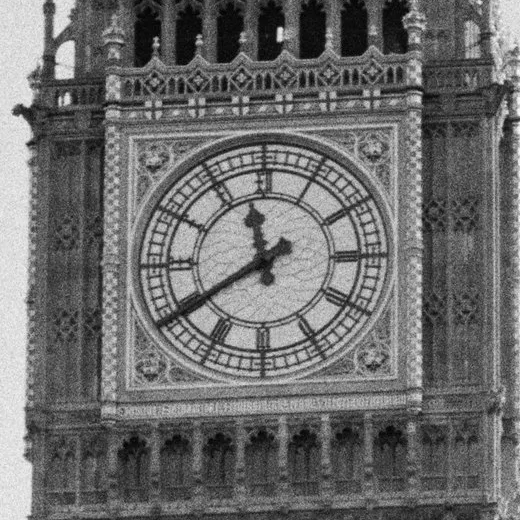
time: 11:39
